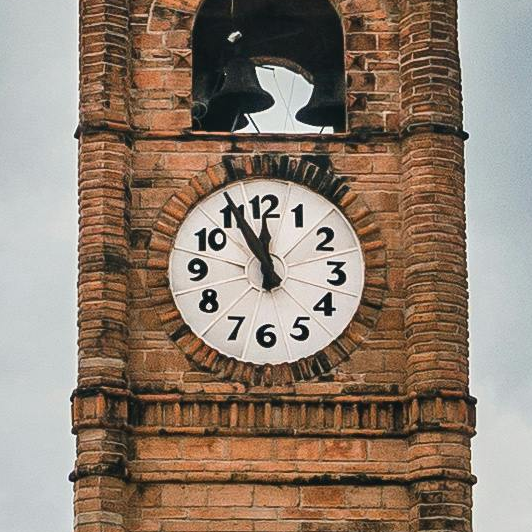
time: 11:55
